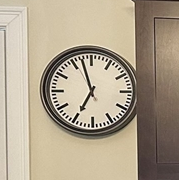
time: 6:57
